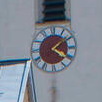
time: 4:08
